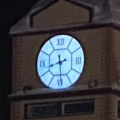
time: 8:29
